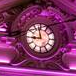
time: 8:57
